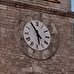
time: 5:54
